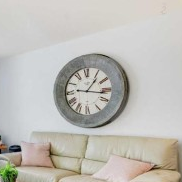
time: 1:16
